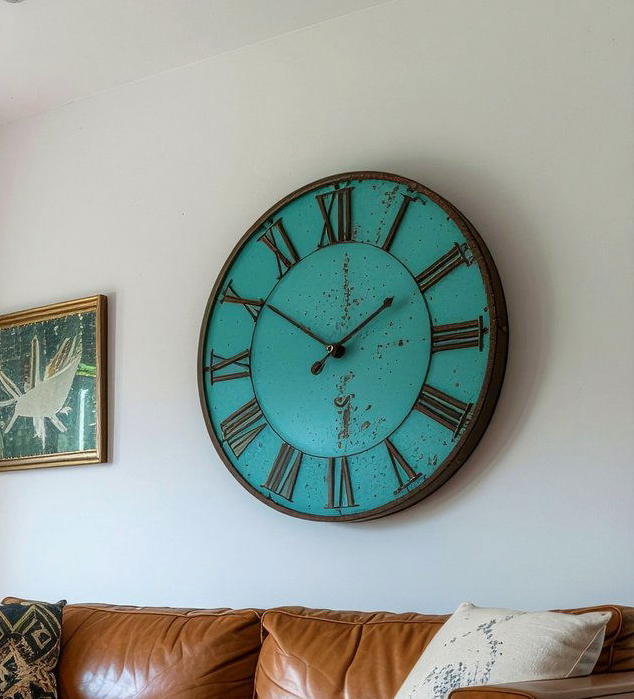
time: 1:50
